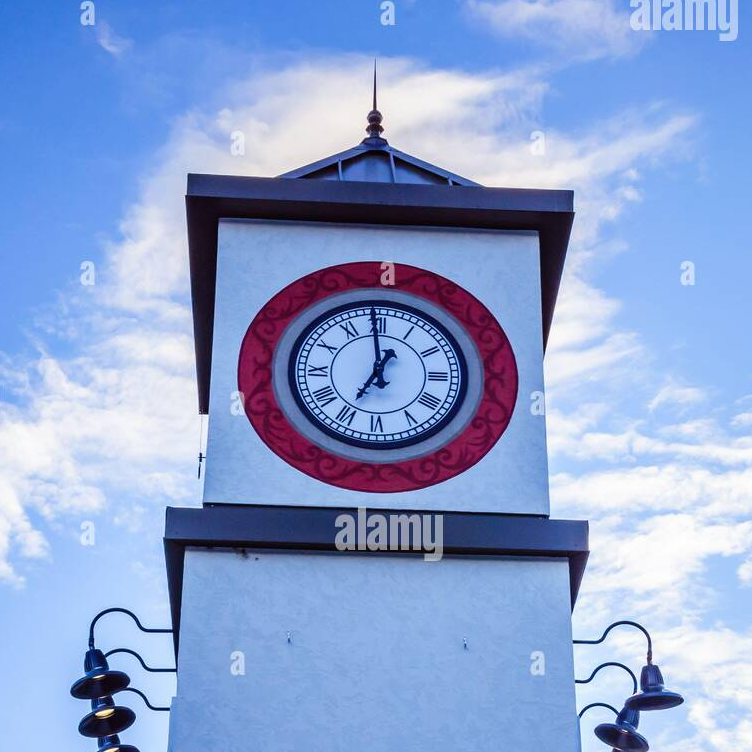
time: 6:59
